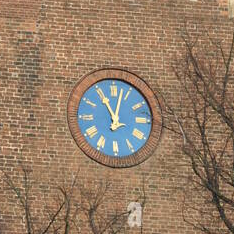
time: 11:02
